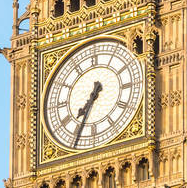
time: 7:34
